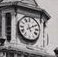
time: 5:09
